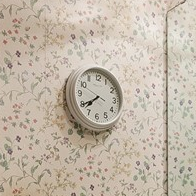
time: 7:39
